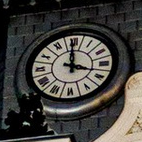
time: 3:59
